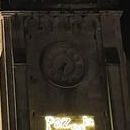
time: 7:32
